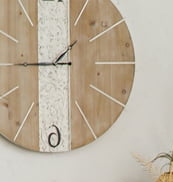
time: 1:45
